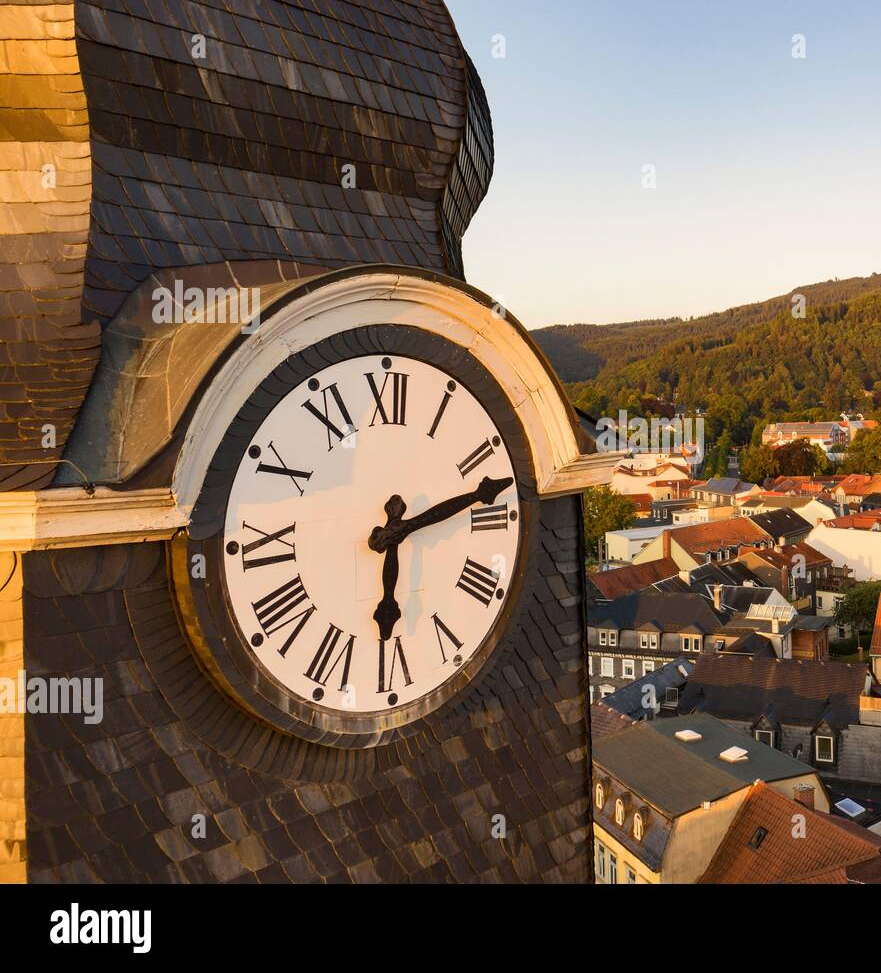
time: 6:12
